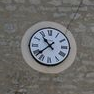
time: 10:38
